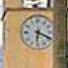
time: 6:18
